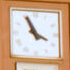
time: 3:55
